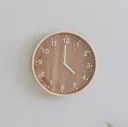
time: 4:00
